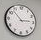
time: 2:52
